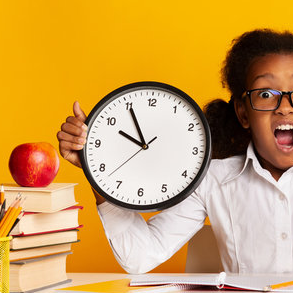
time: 9:55
